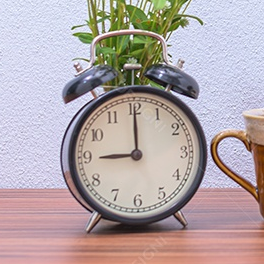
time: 9:00
